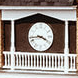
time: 3:43
